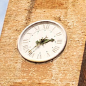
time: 2:36
